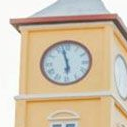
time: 5:57
